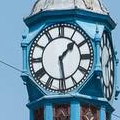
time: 1:28
